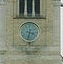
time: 3:32
